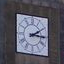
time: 2:15
